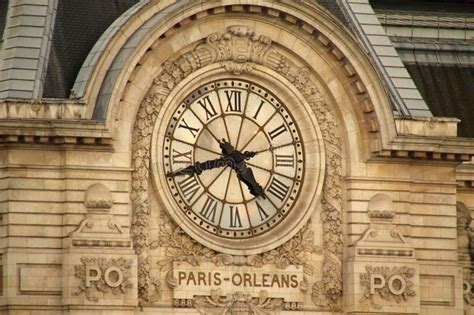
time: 4:42
